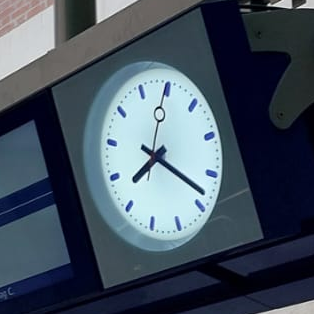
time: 7:18
